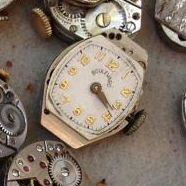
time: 4:23
